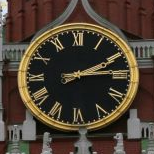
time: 2:14
